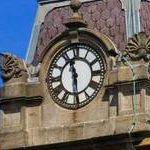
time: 11:29
